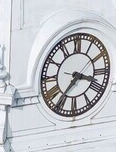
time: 3:36
